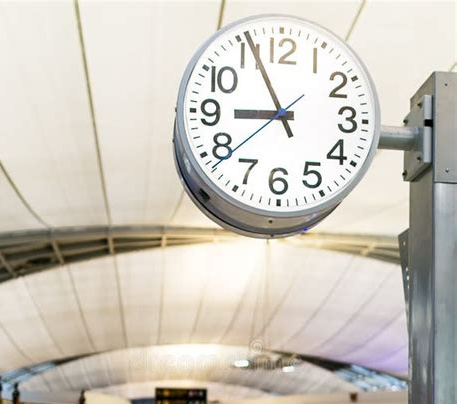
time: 8:55
